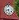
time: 8:27
